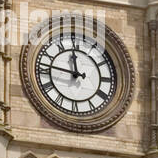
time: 11:46
